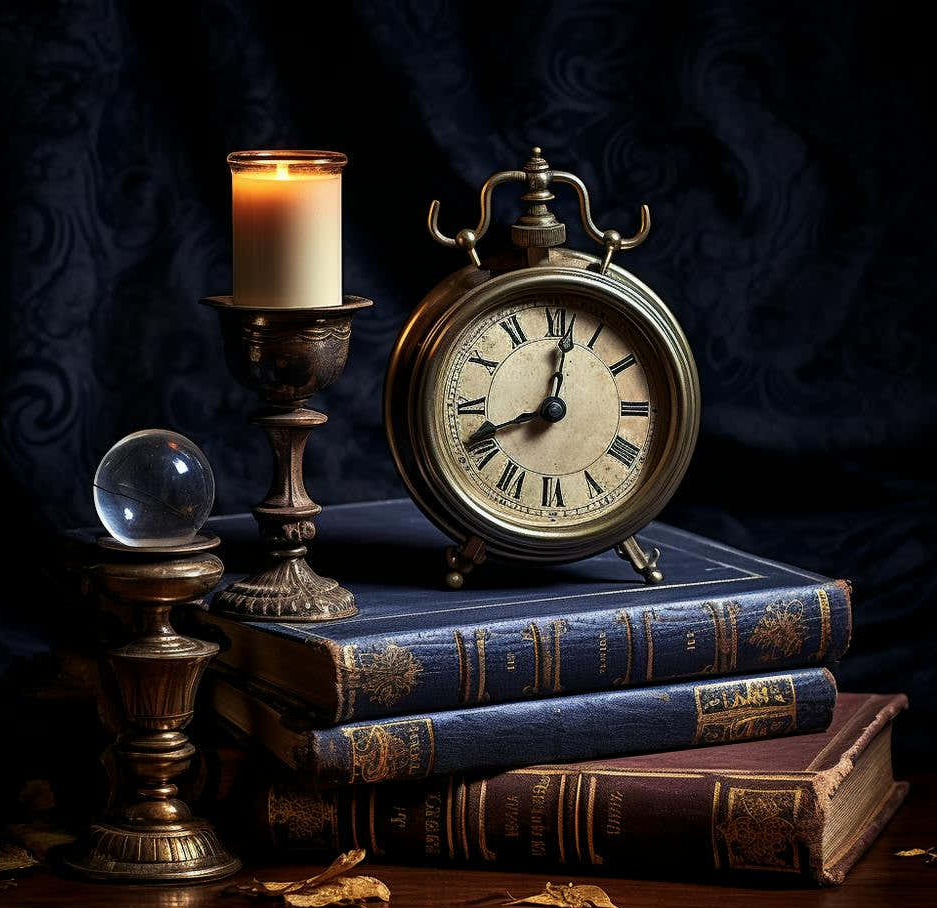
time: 8:01
